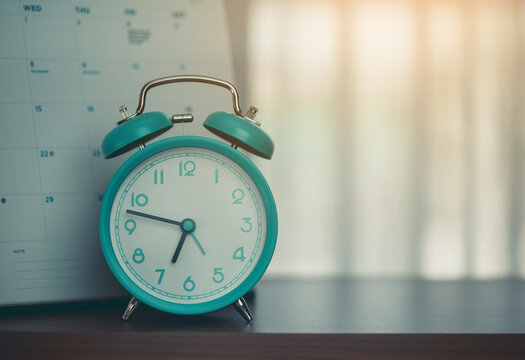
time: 6:47
